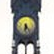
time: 6:23
